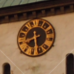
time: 8:27
